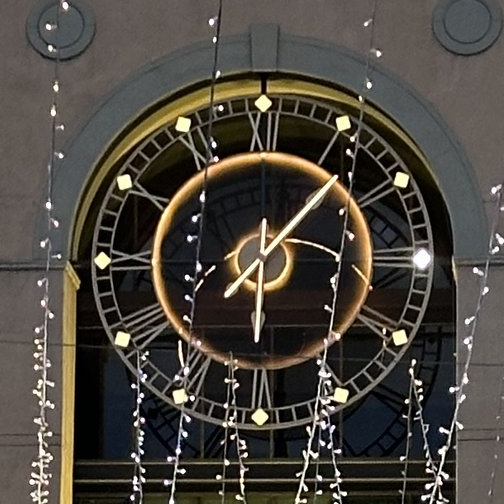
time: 6:07
